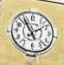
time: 1:55
